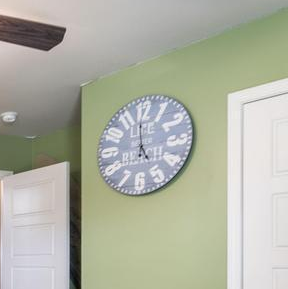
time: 4:59
